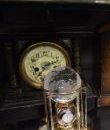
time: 2:36
